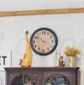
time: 3:52
